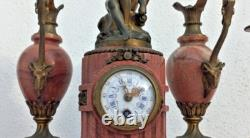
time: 1:56
